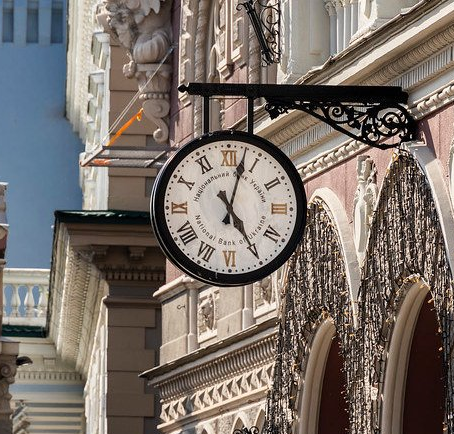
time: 5:02
